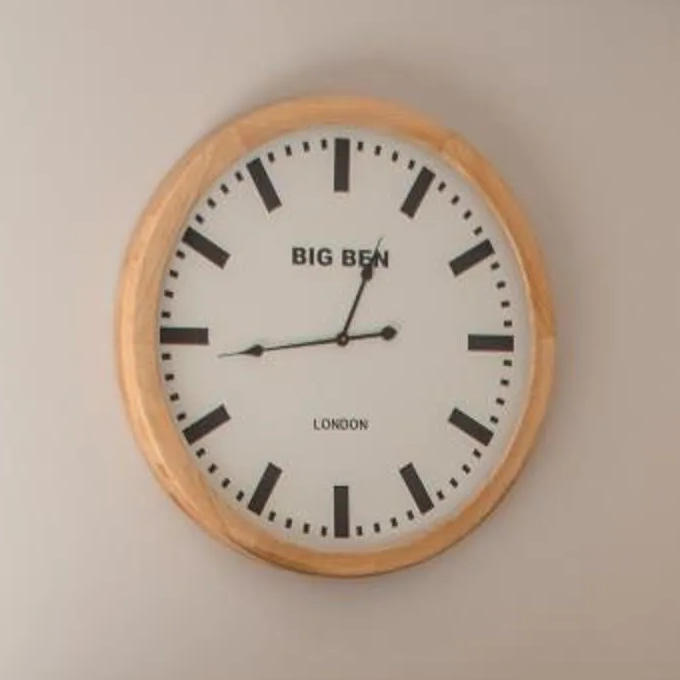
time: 12:43
